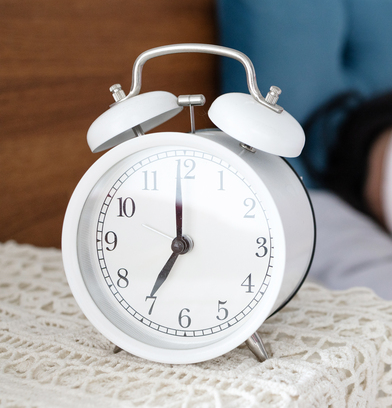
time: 6:59
